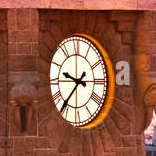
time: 9:36
